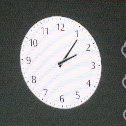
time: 2:06
